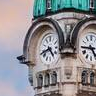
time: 4:42
